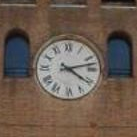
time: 4:12
